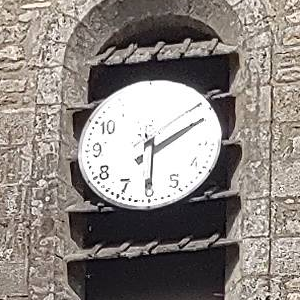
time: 6:10
